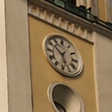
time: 5:51
